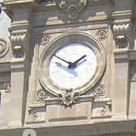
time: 1:50
